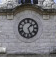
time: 1:26
